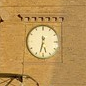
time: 5:32
